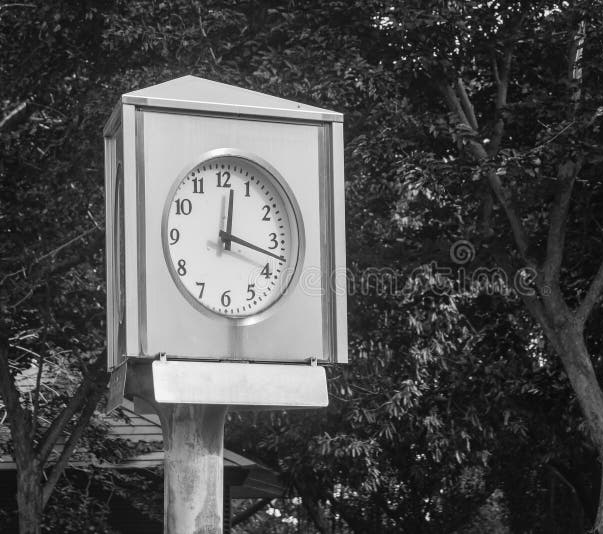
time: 12:17
